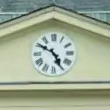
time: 4:50
